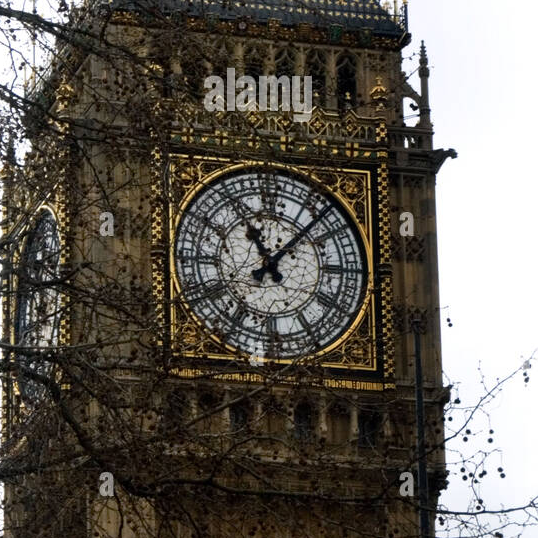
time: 11:07
